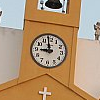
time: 8:58
